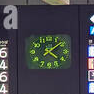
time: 4:08
